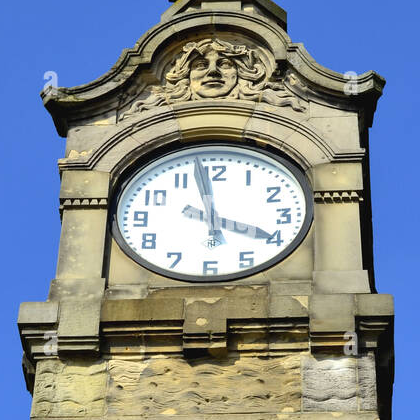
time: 3:58
